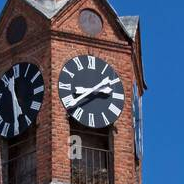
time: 8:38
